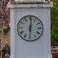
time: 6:01
